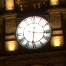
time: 6:15
